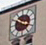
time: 3:50
